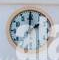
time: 2:00
